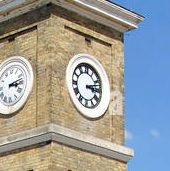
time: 3:12
